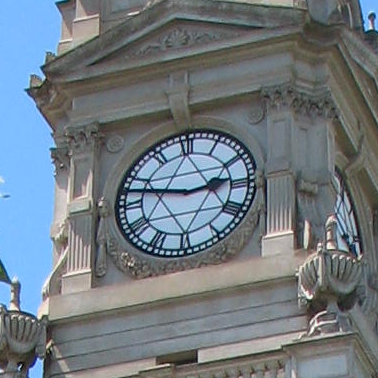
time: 2:47
